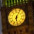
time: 6:05
